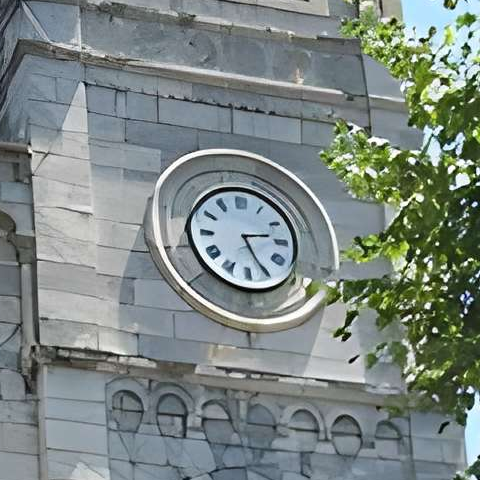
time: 2:25
